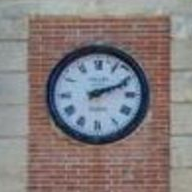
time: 2:11
